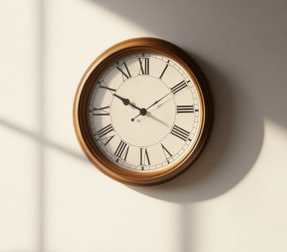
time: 1:49
